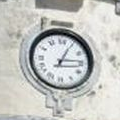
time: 3:04
